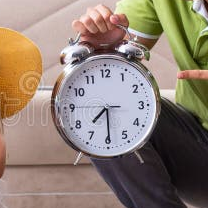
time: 7:29
